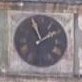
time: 1:56
